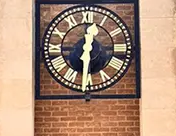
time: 12:30
